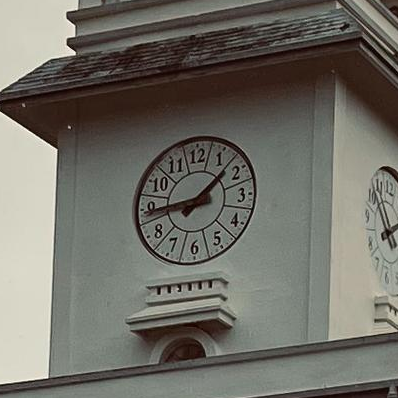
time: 1:44
